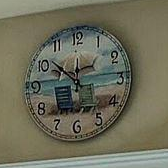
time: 11:51
